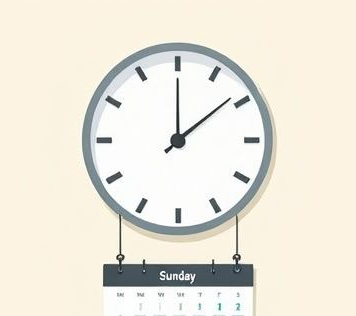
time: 12:08
